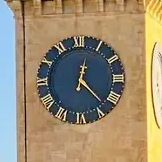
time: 12:23
